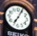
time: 7:04
